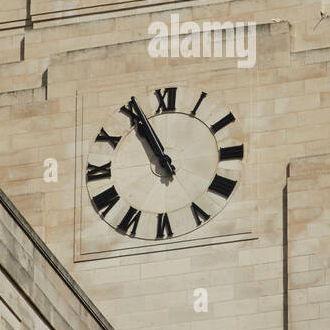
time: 10:55
